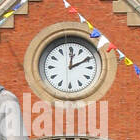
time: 12:10
